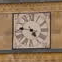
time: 4:46
